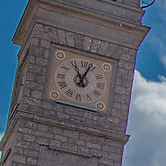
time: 11:03
